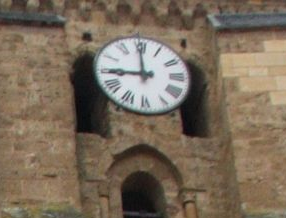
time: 8:59
